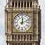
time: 12:11
